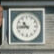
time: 10:43
